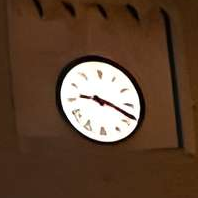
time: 9:18
